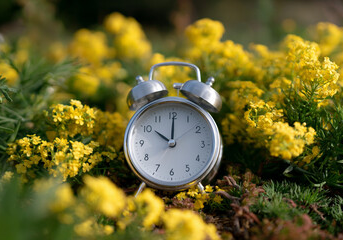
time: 10:00
